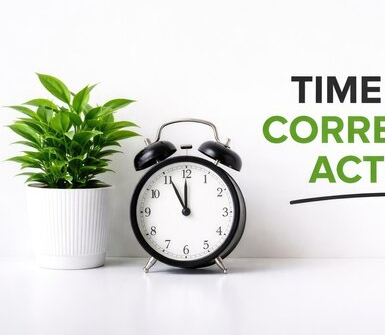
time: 11:55
